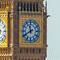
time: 11:40
